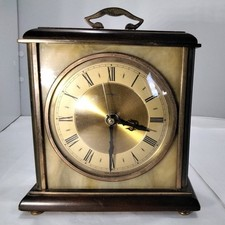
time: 3:30
